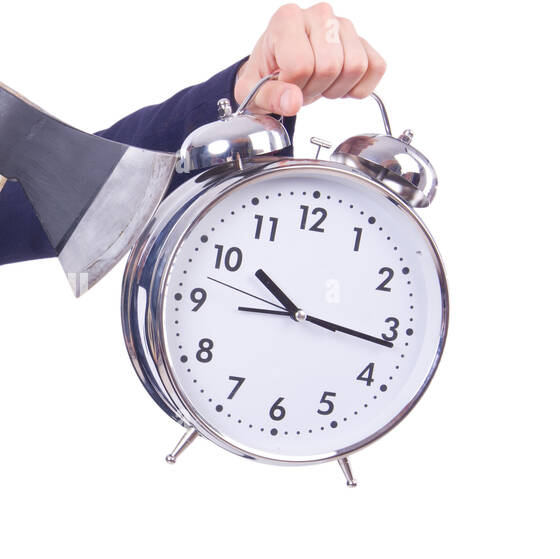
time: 10:16
